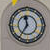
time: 11:35
